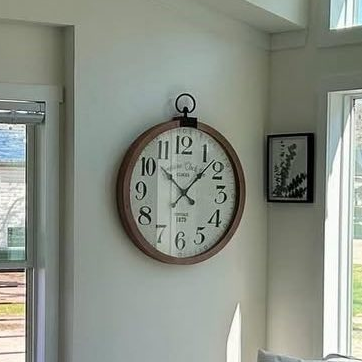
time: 10:07
